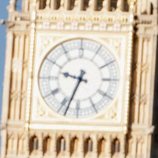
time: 9:33
